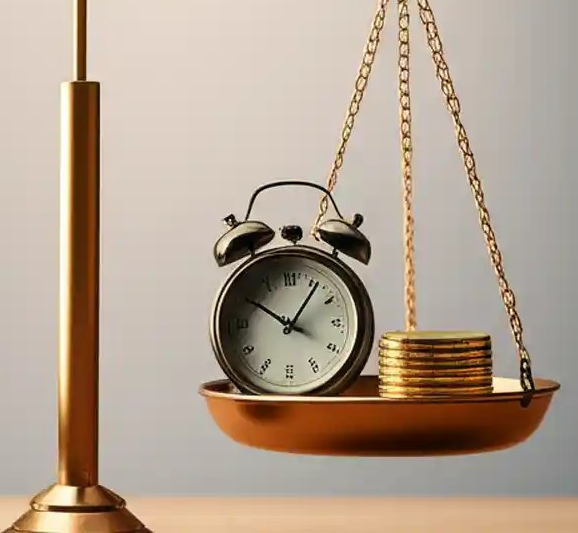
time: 10:06
